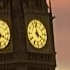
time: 3:58
